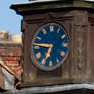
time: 6:46
